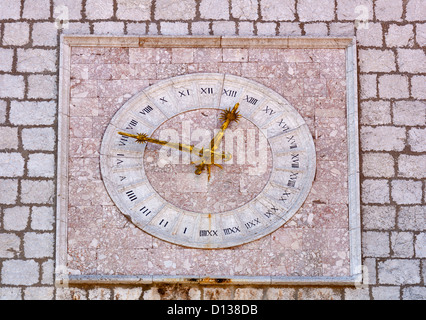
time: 12:47
